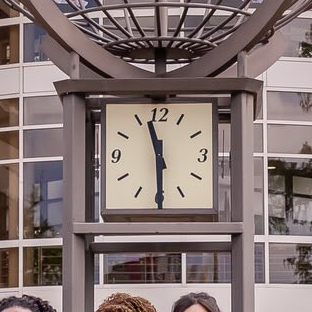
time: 11:29
